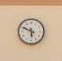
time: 5:49
